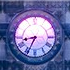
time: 8:34
